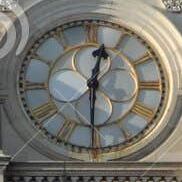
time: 12:30
